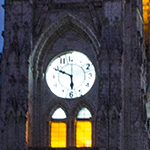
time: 5:49
